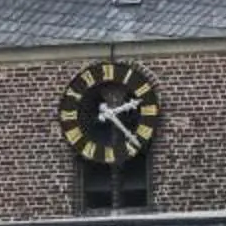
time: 2:22
